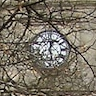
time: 12:28
